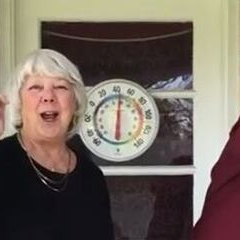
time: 6:01
